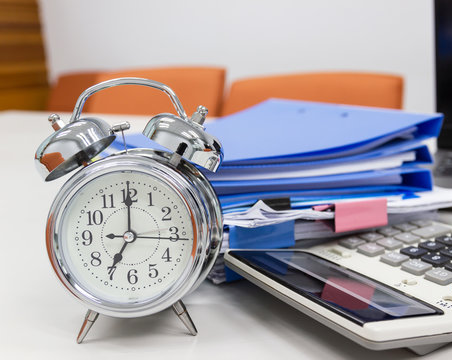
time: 7:00
